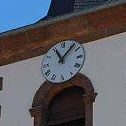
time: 11:07
